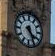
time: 4:26
